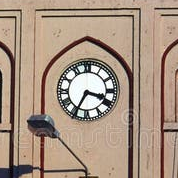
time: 3:34
